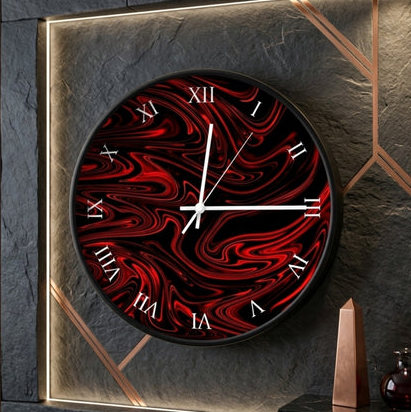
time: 12:14
